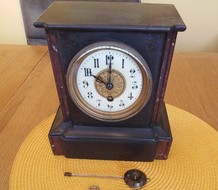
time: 10:00
